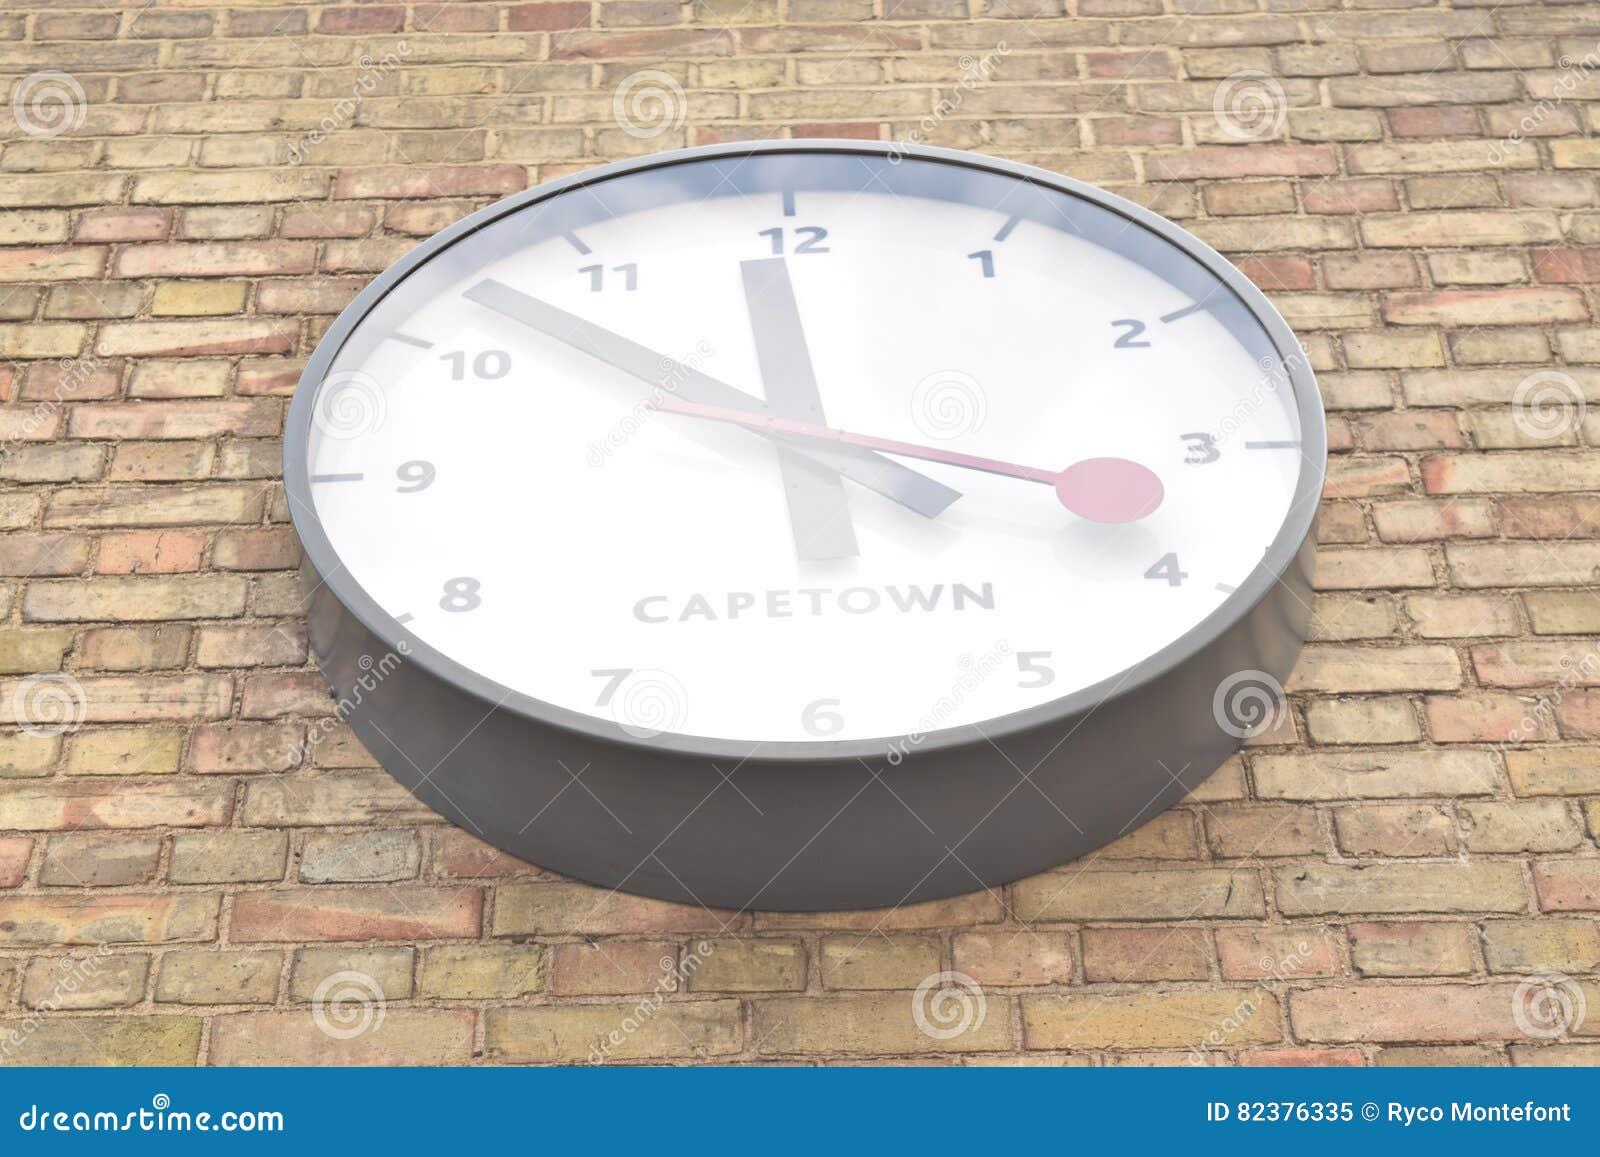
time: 3:52
